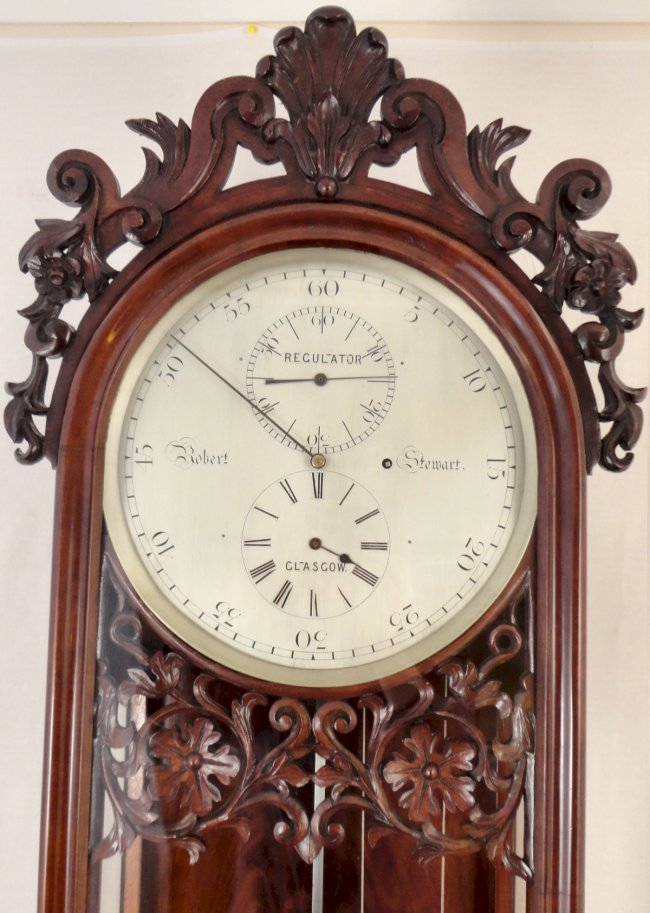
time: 4:50
